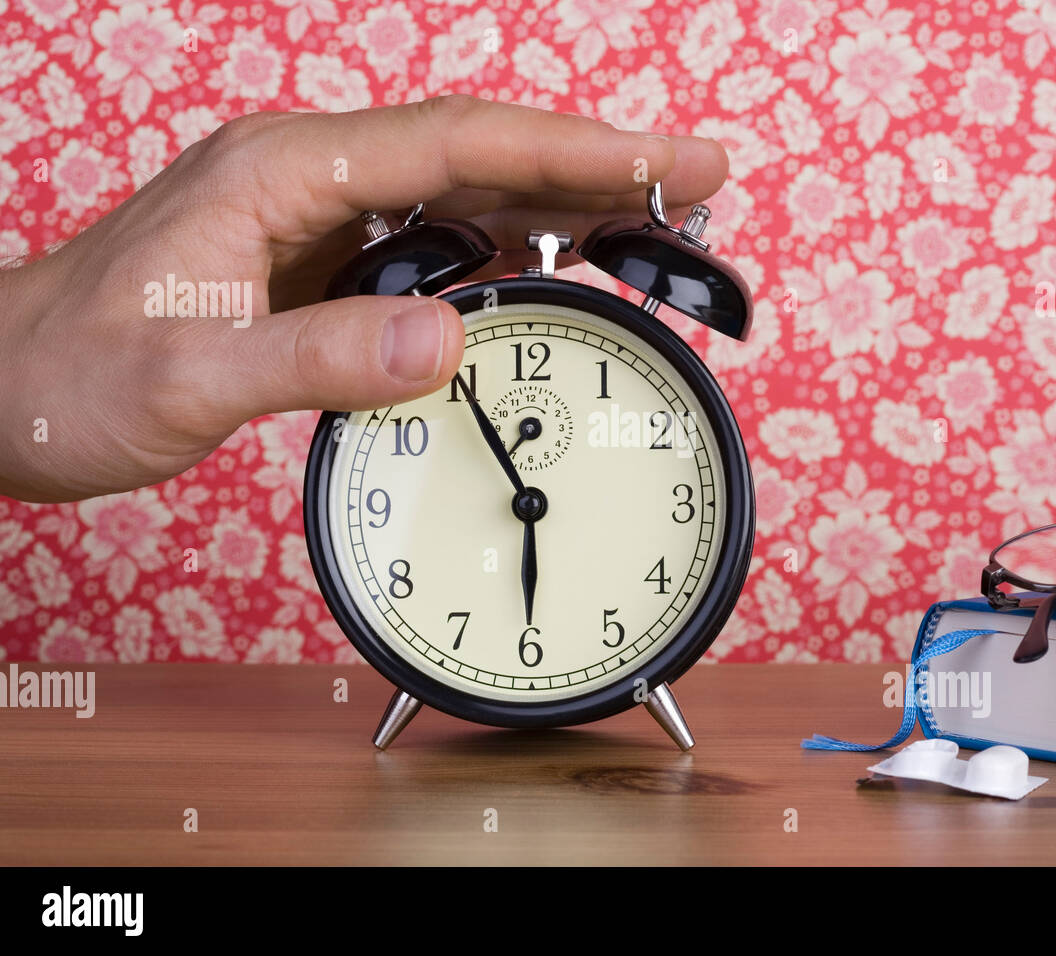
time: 5:55
